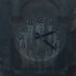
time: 2:21
